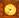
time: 9:37
